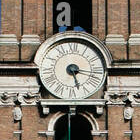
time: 5:16
